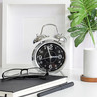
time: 2:57
